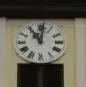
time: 11:01
